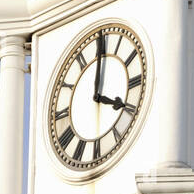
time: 4:00
